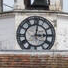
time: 3:01
